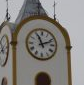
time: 11:11
